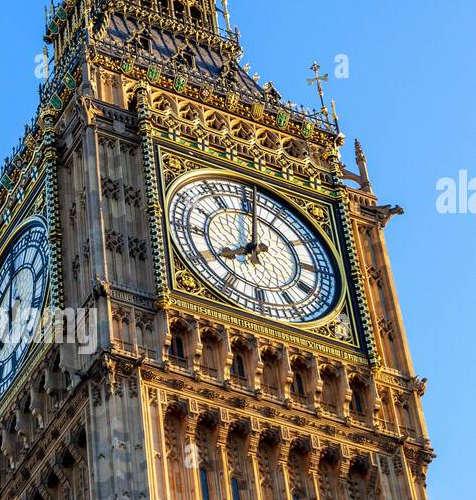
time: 8:01
